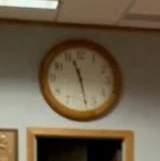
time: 11:28
